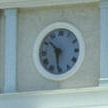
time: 10:30
